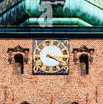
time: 3:18
